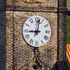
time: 9:01
